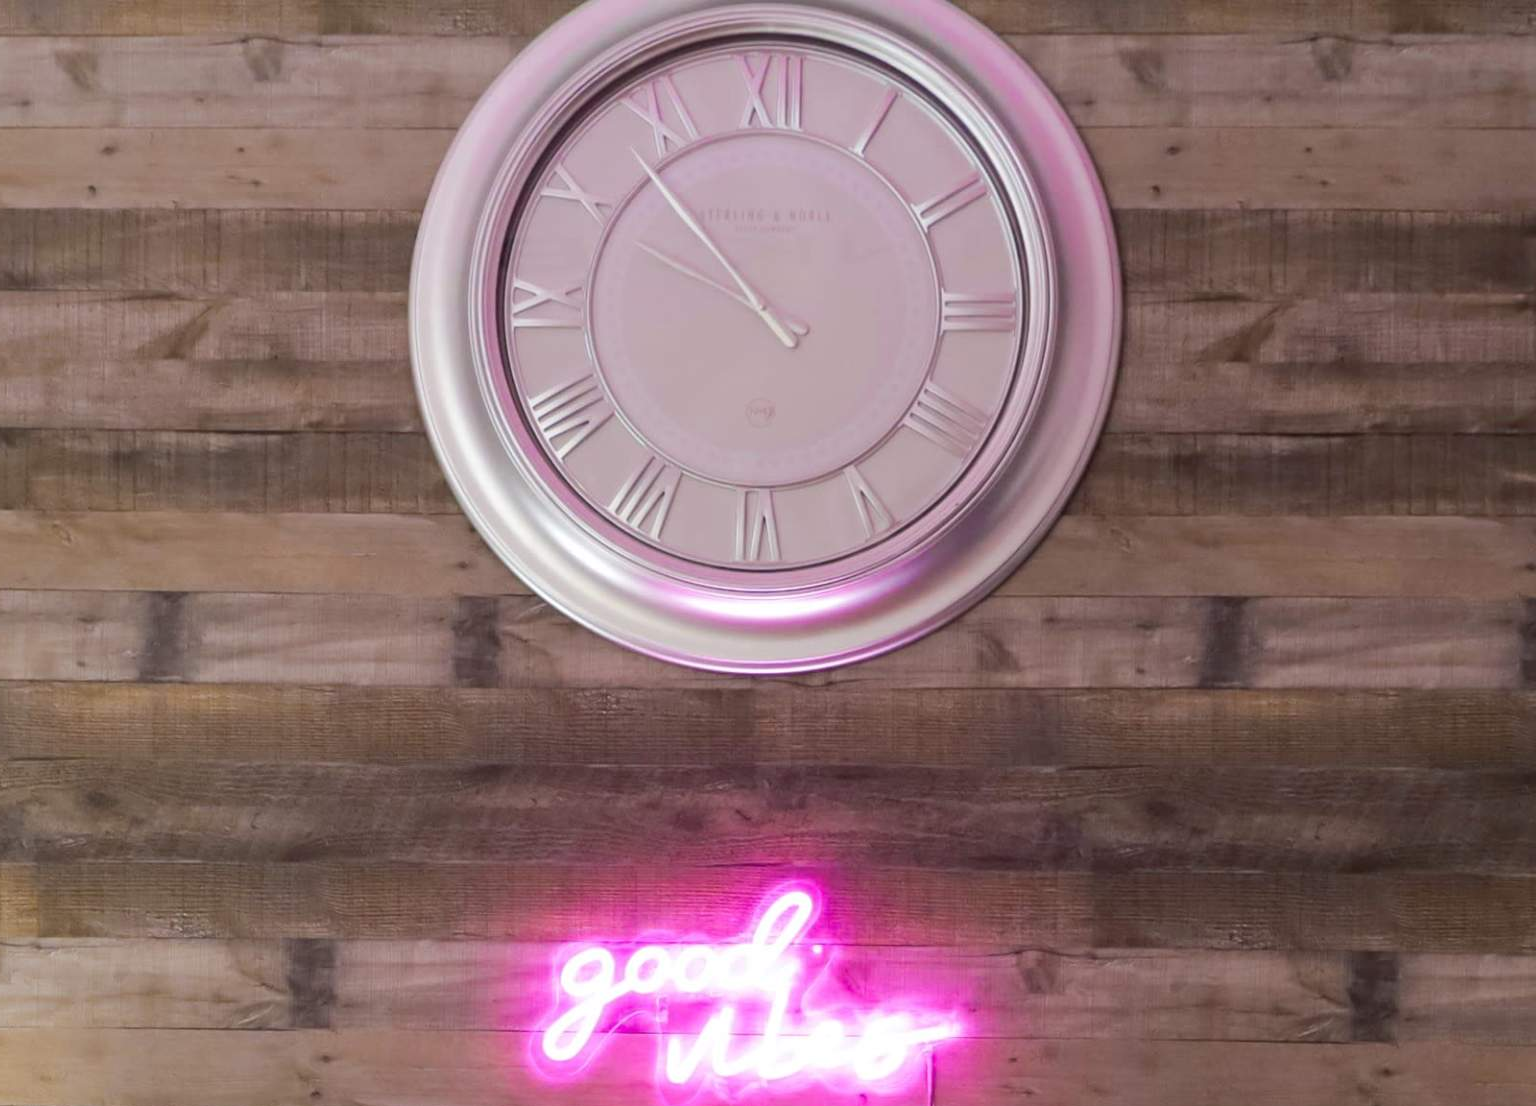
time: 9:53
